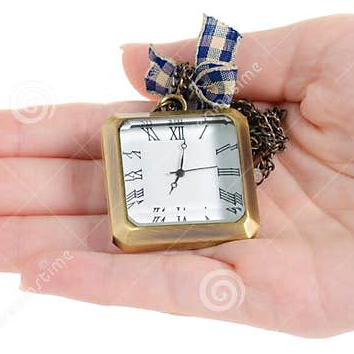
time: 12:13
